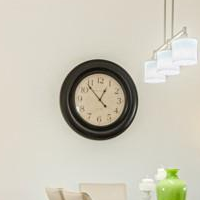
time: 12:53
